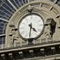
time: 4:31
